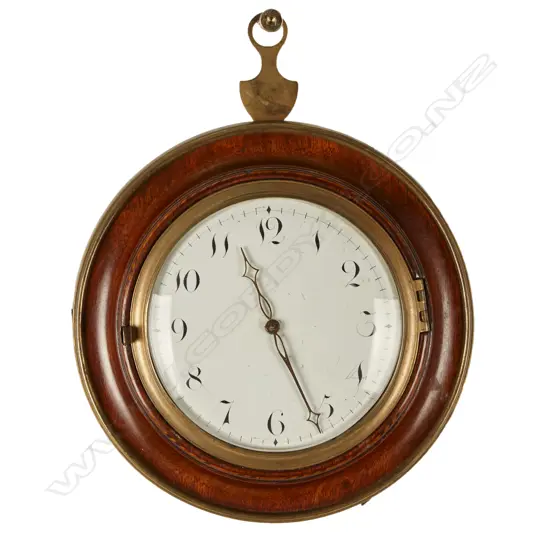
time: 11:26
